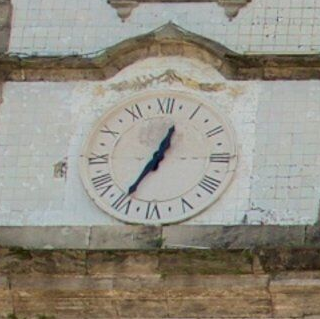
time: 12:35
